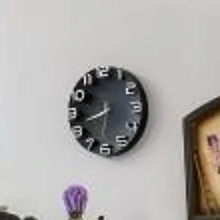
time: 8:32
